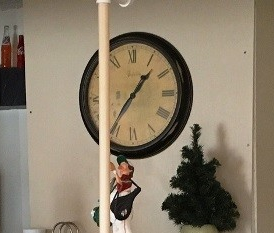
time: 1:36
